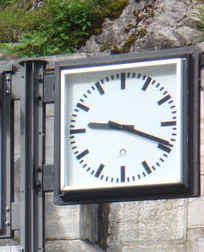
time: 9:18
